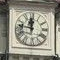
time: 11:46
